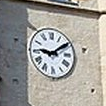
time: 9:09
